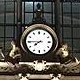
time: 7:45
